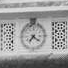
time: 7:21
